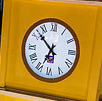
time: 6:52
